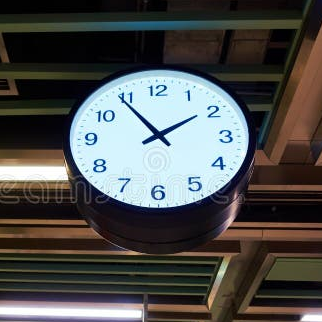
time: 1:54
